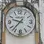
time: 9:37
